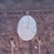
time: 9:01
